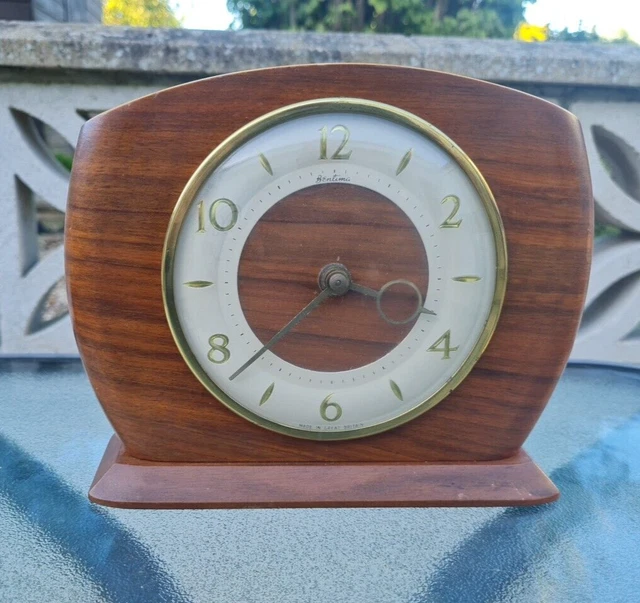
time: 3:45
